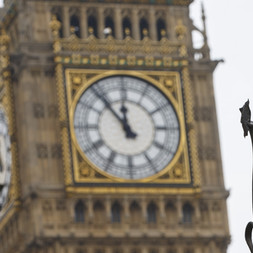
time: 11:53
